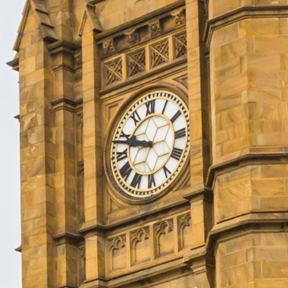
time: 9:48
